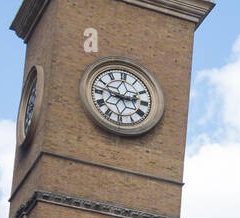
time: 2:46
